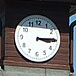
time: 3:14
